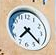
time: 7:21
